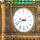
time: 9:42
